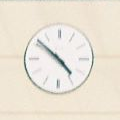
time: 4:51
